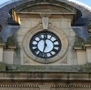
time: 11:32
